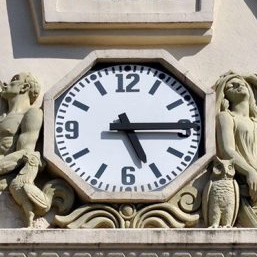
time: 5:14
